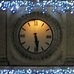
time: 5:28
